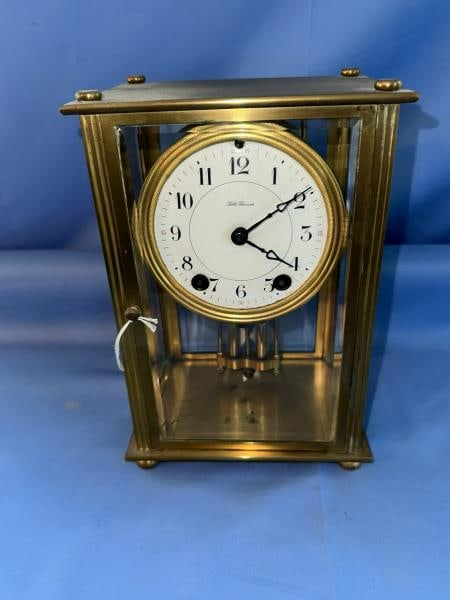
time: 4:09
